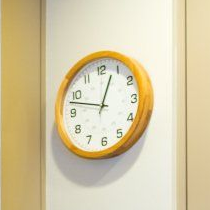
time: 12:47
